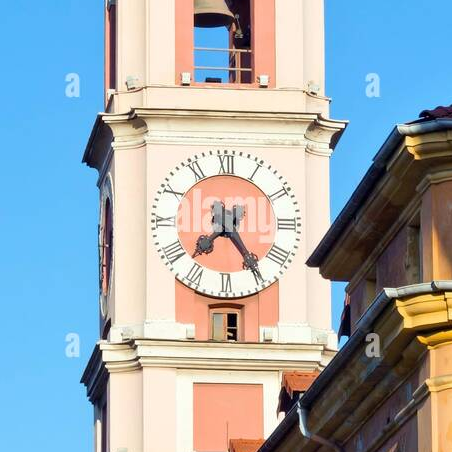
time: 7:24
